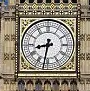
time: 8:32
